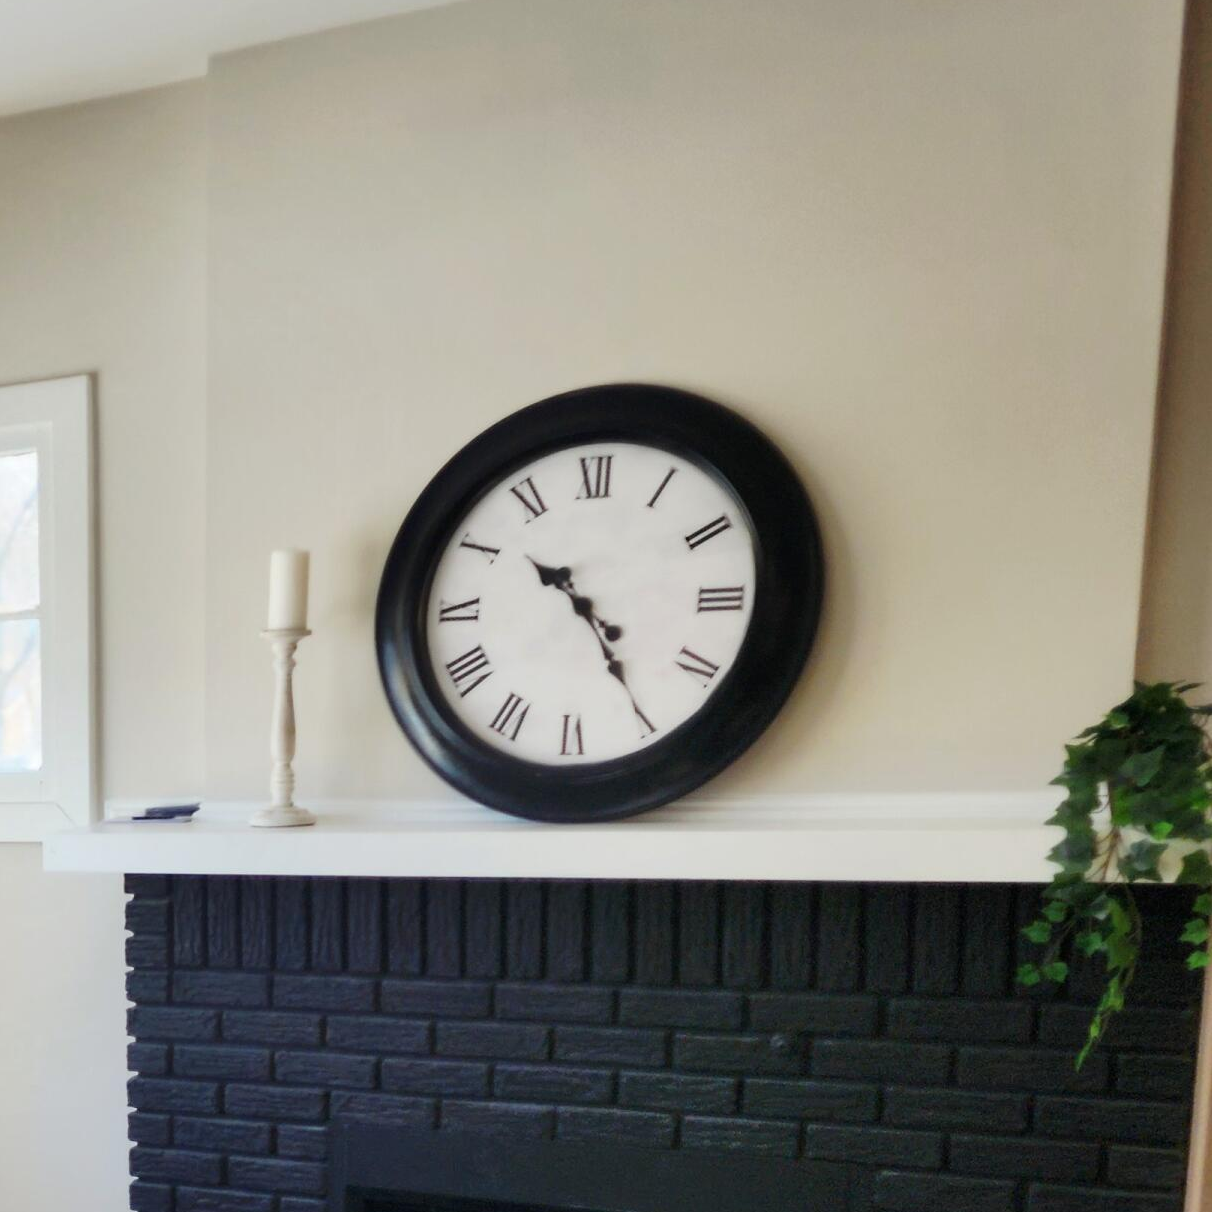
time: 10:24
